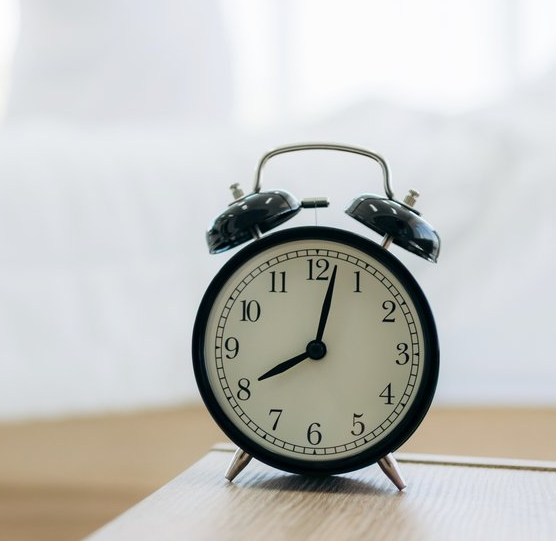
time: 8:02
